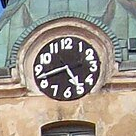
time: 4:42
